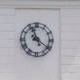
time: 11:20
